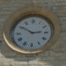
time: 2:50
